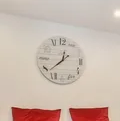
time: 12:38
